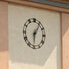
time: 6:05
